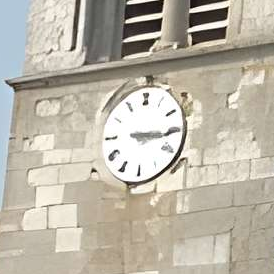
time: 3:15
